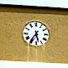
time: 5:35
